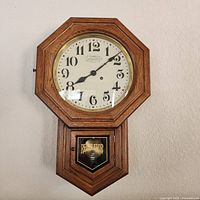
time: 8:08
